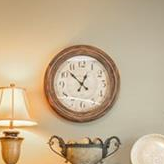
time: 12:52
